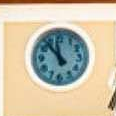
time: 11:53
